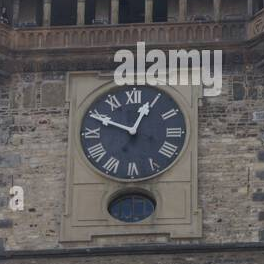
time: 12:49
